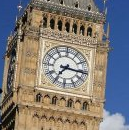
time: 7:16
